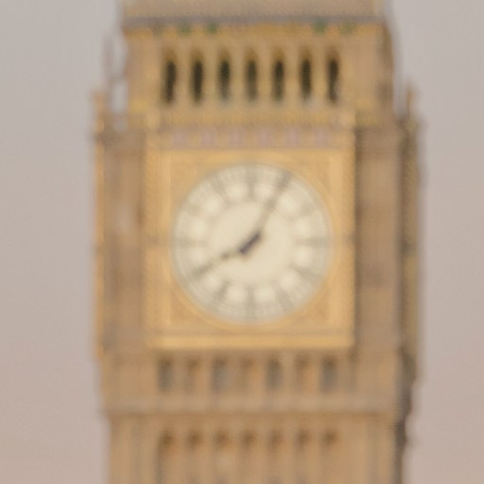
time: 8:04
